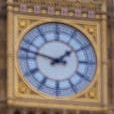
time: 1:47
